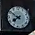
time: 7:50
